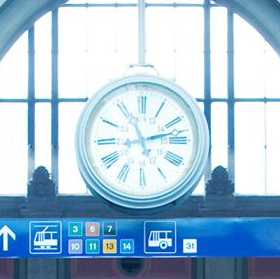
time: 11:12
